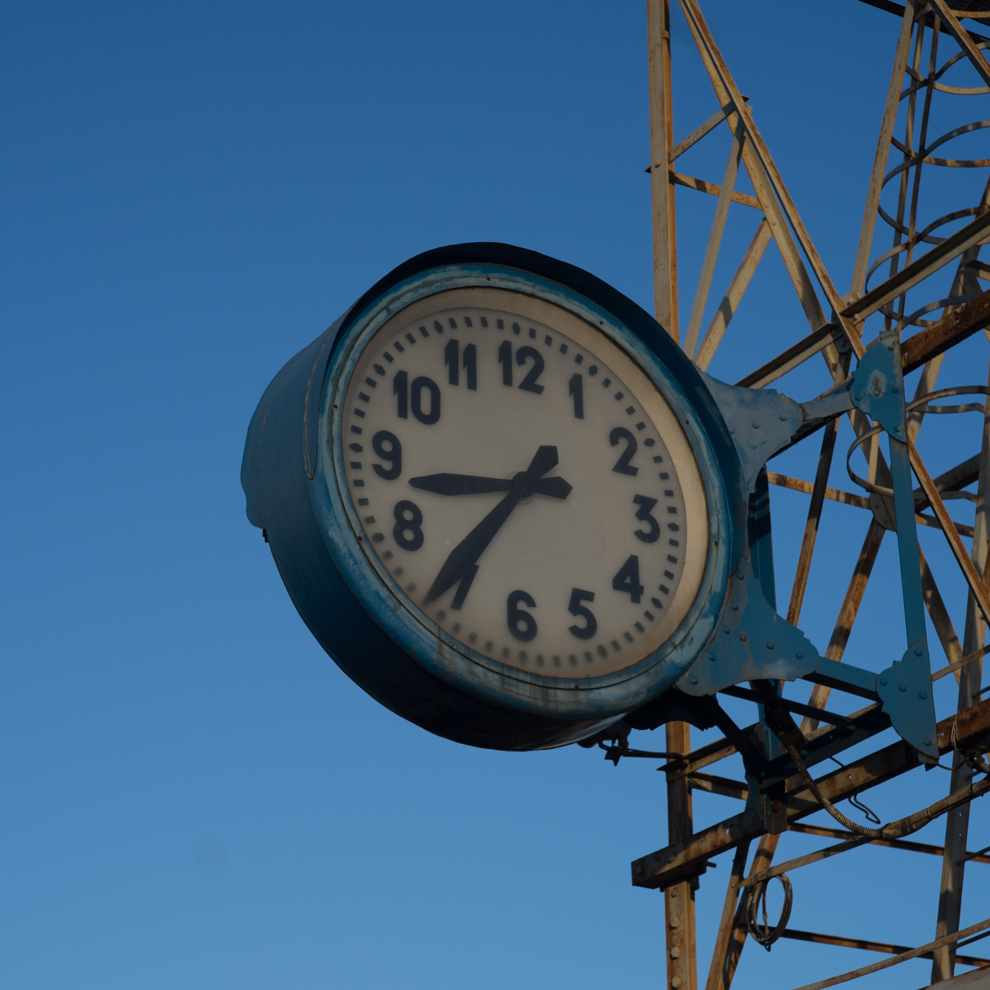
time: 8:35
